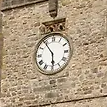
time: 5:54
